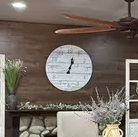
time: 1:02
